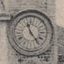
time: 11:23
